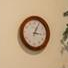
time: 3:04
